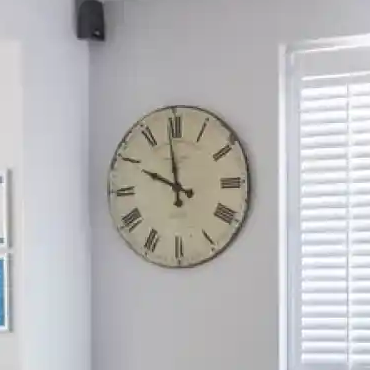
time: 9:58
